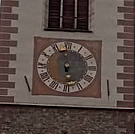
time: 5:57
